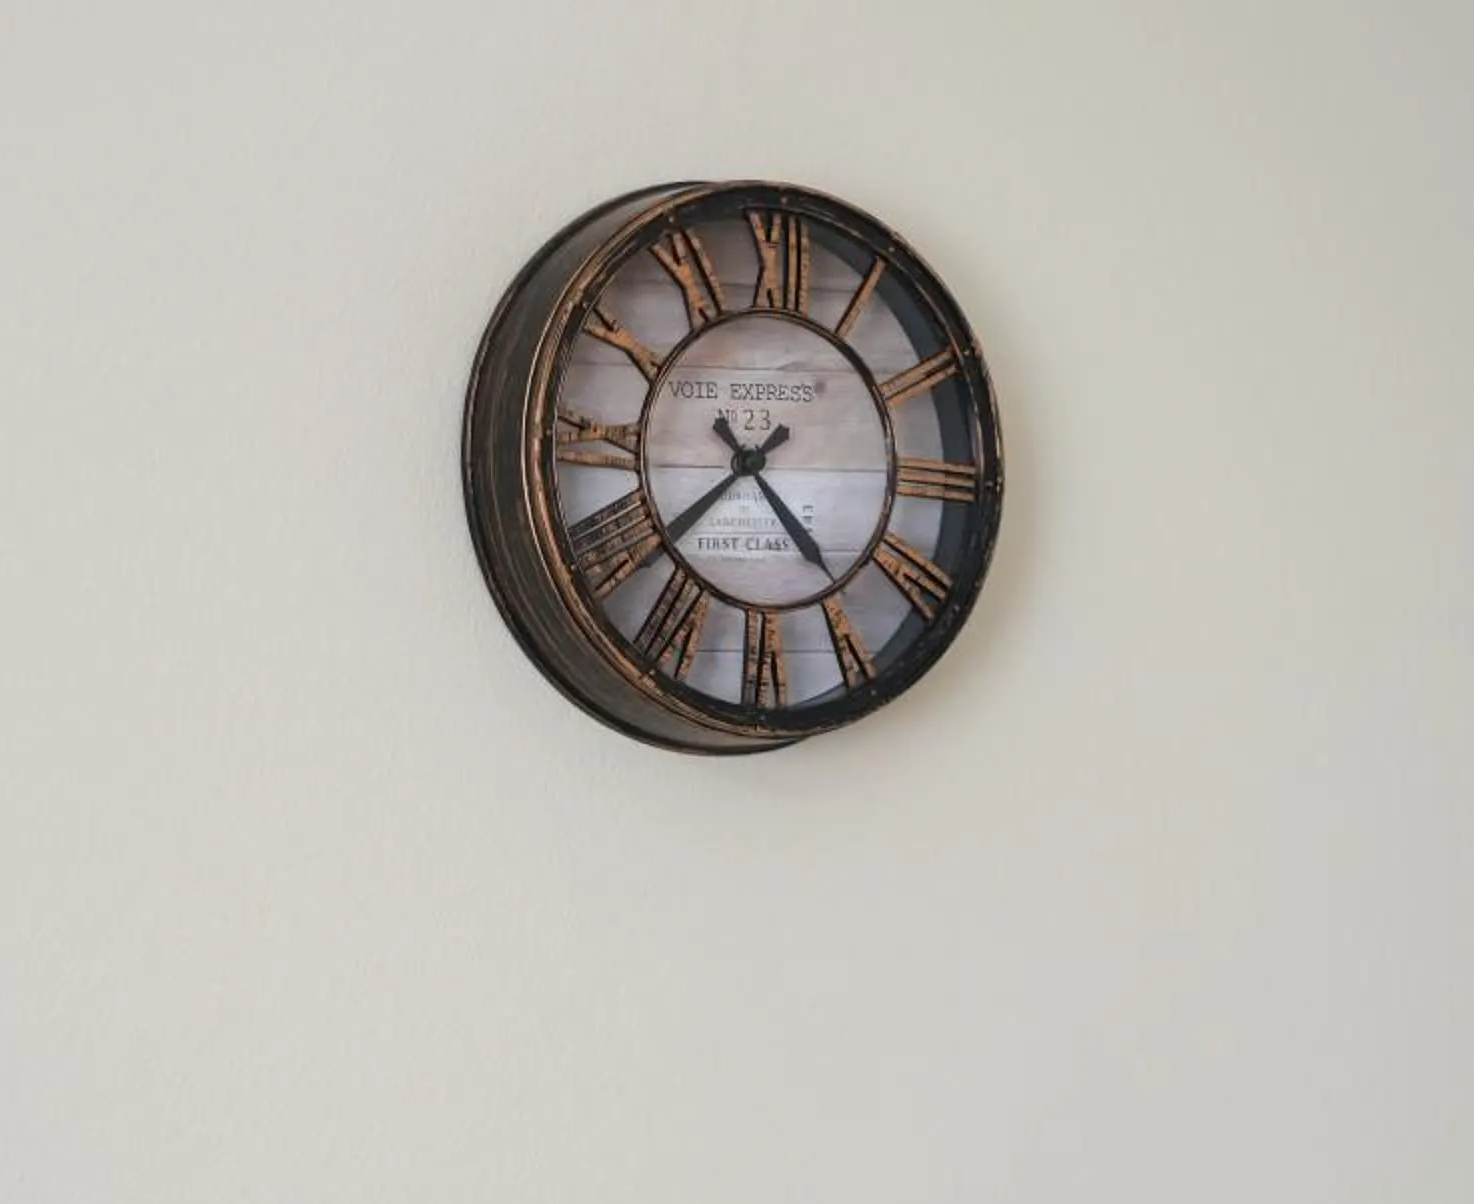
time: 4:37
